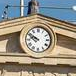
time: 9:50
